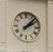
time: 2:07
